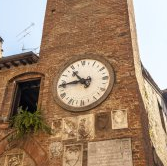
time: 10:45
